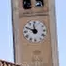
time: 11:49
